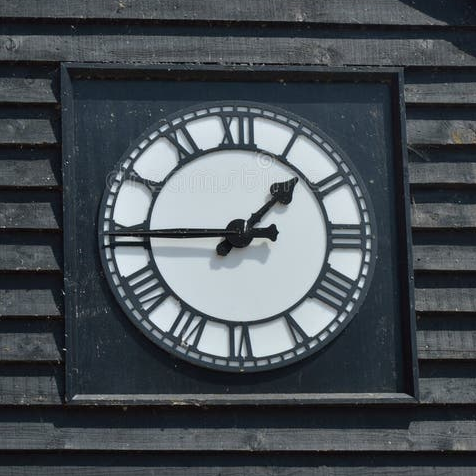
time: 1:44
